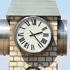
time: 2:23
